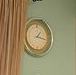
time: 1:16
